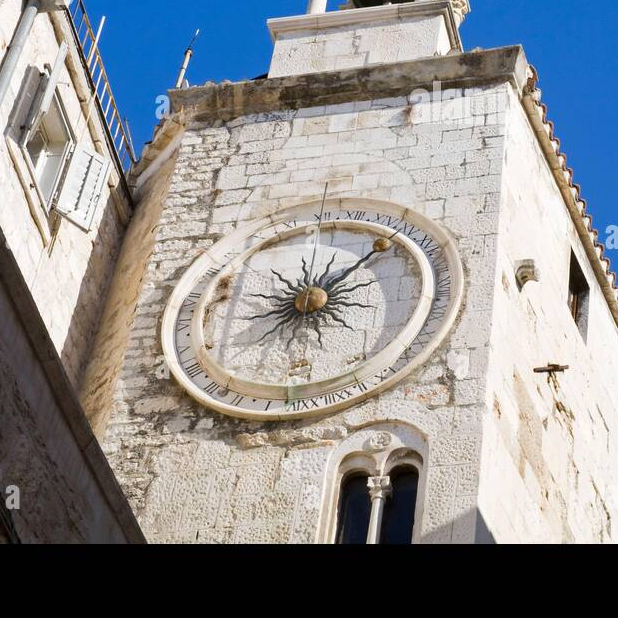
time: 12:07
